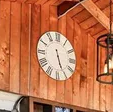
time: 5:26
